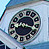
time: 8:17
